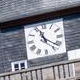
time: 11:21
